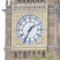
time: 1:34
